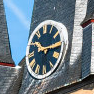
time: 10:14
